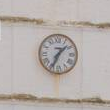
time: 1:34
